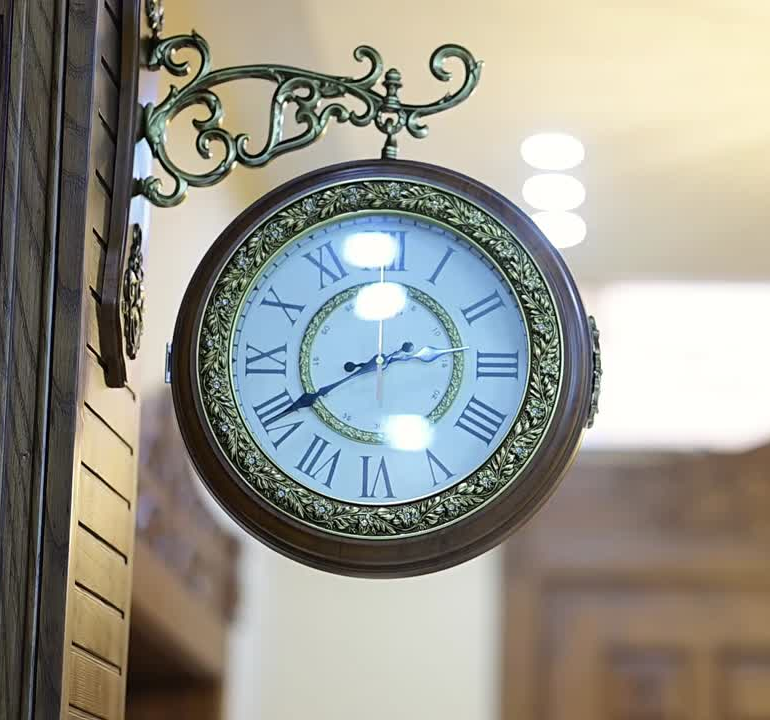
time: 2:40
